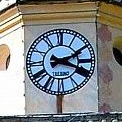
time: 2:18
